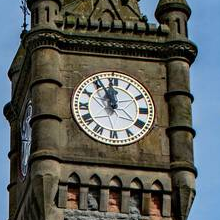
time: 11:55
